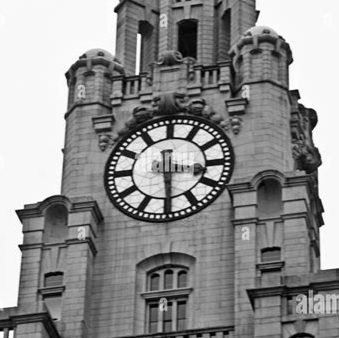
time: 3:29
